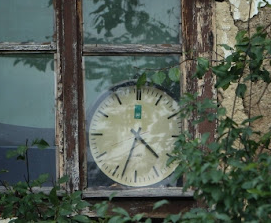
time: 4:33
